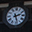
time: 2:27
